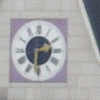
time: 2:30
